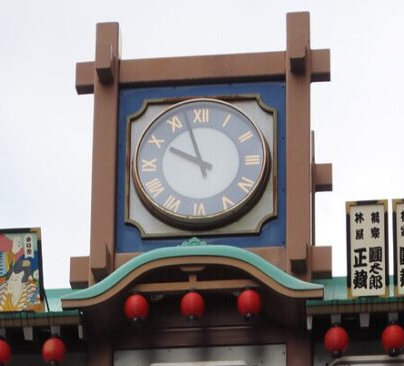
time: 9:57
